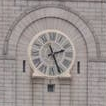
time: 2:26
